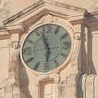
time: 5:57
